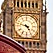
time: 4:47
